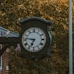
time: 6:46
